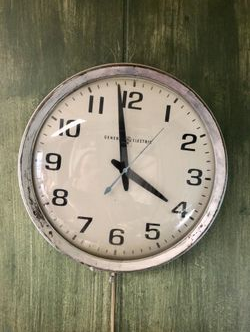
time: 3:58
